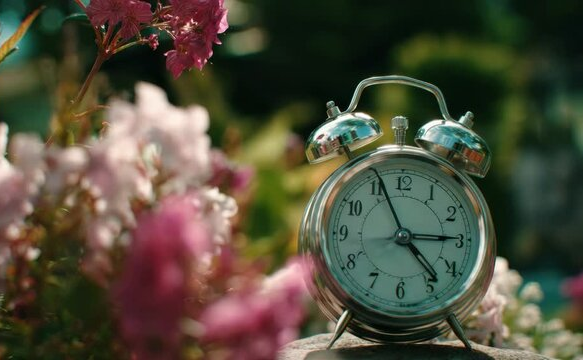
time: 2:56
